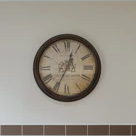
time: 12:34
